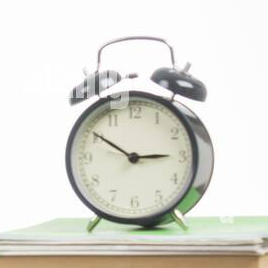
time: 2:50
